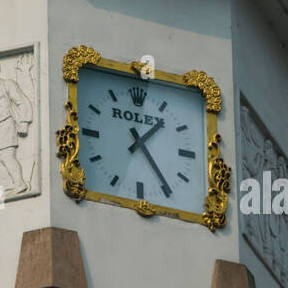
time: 1:24
